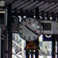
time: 10:20
